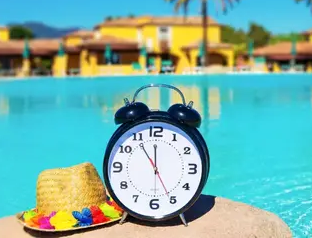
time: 11:54
